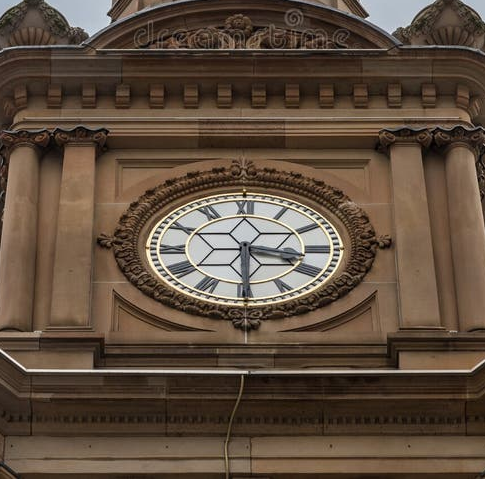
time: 3:29
